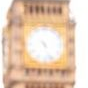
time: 4:26
